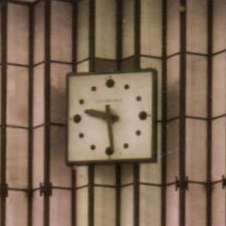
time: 9:29
